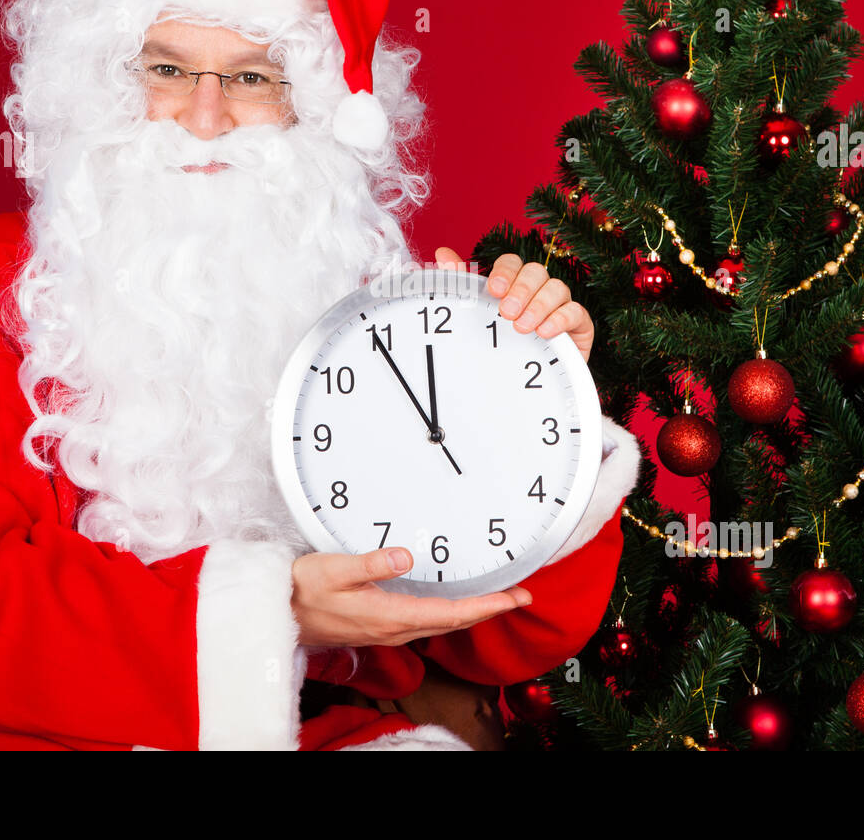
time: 11:54
